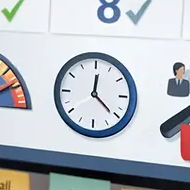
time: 12:21
